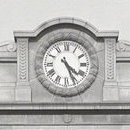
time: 4:26
